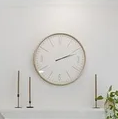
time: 2:11
